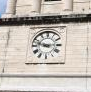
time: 2:47
